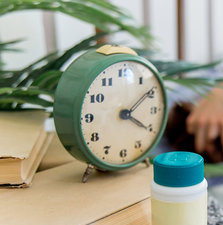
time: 4:09
